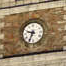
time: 9:34
